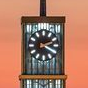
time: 2:19
